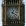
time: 4:04
